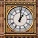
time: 1:01
